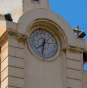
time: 7:32
